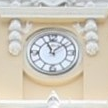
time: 11:08
